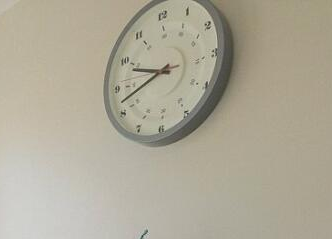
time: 9:42
